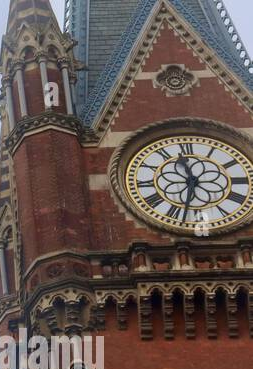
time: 11:32
